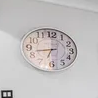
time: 6:42
